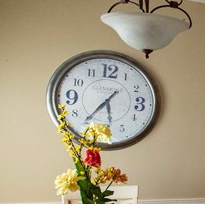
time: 5:36
